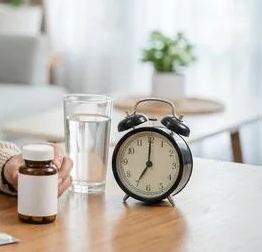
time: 7:00
